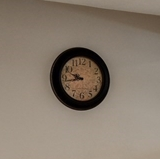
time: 9:42
